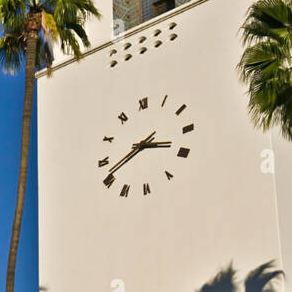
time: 3:40
